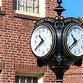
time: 10:39
